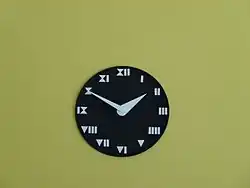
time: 1:50
